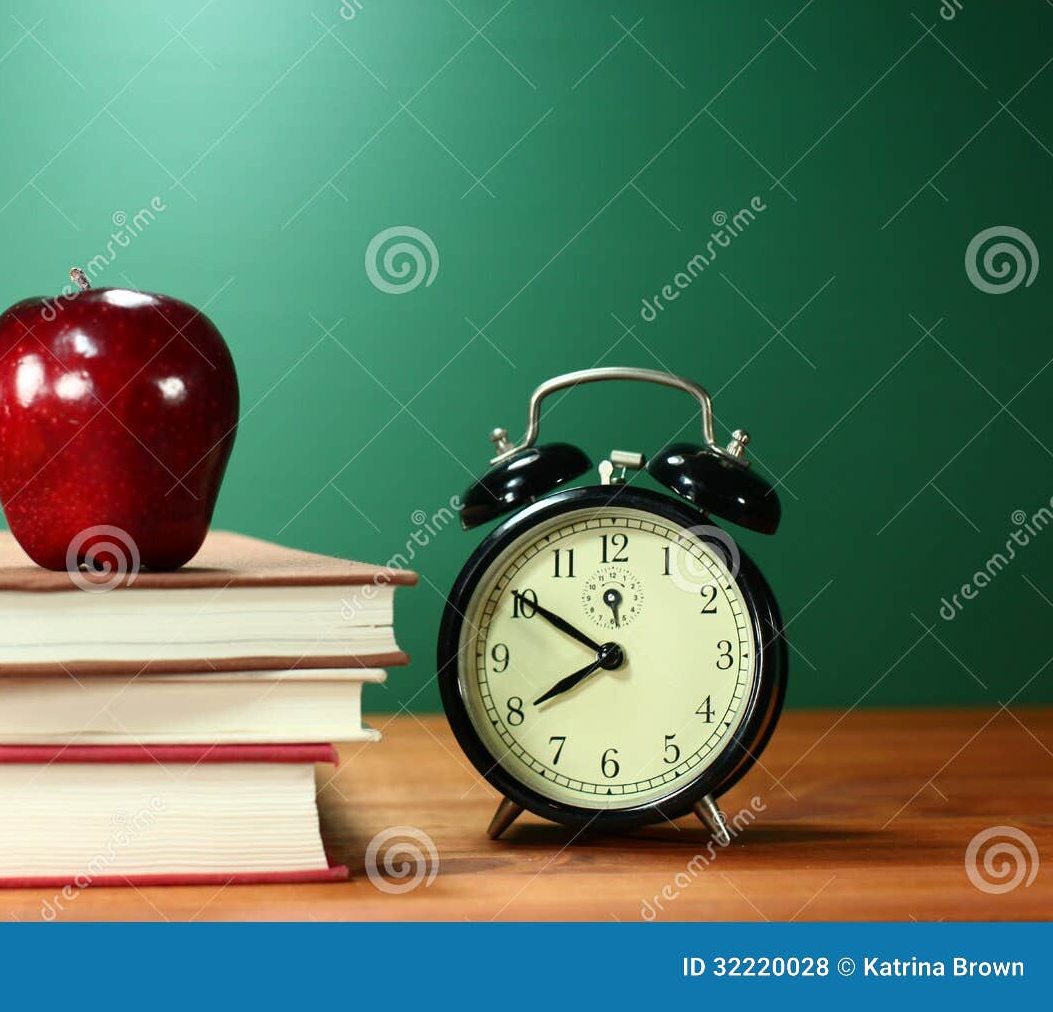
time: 7:50
